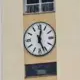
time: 12:26
